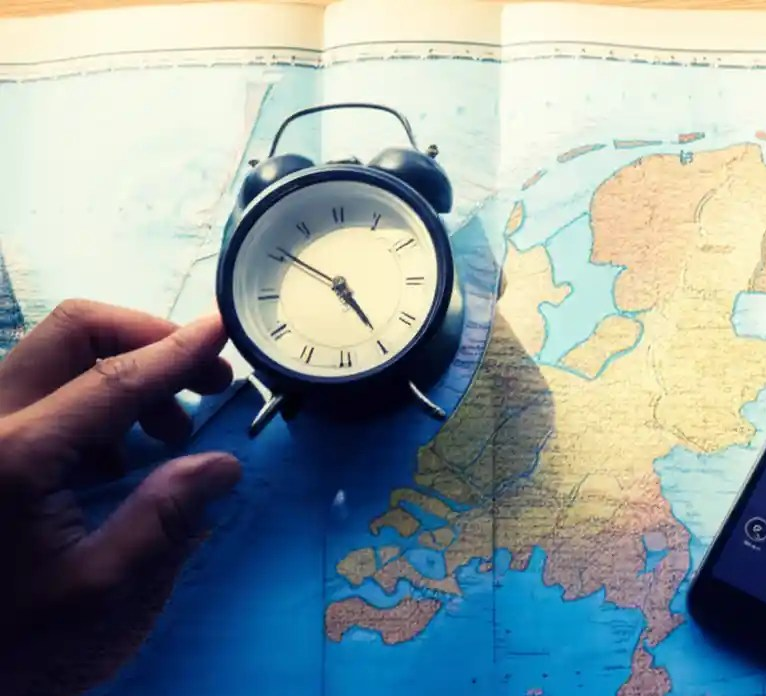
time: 4:50
